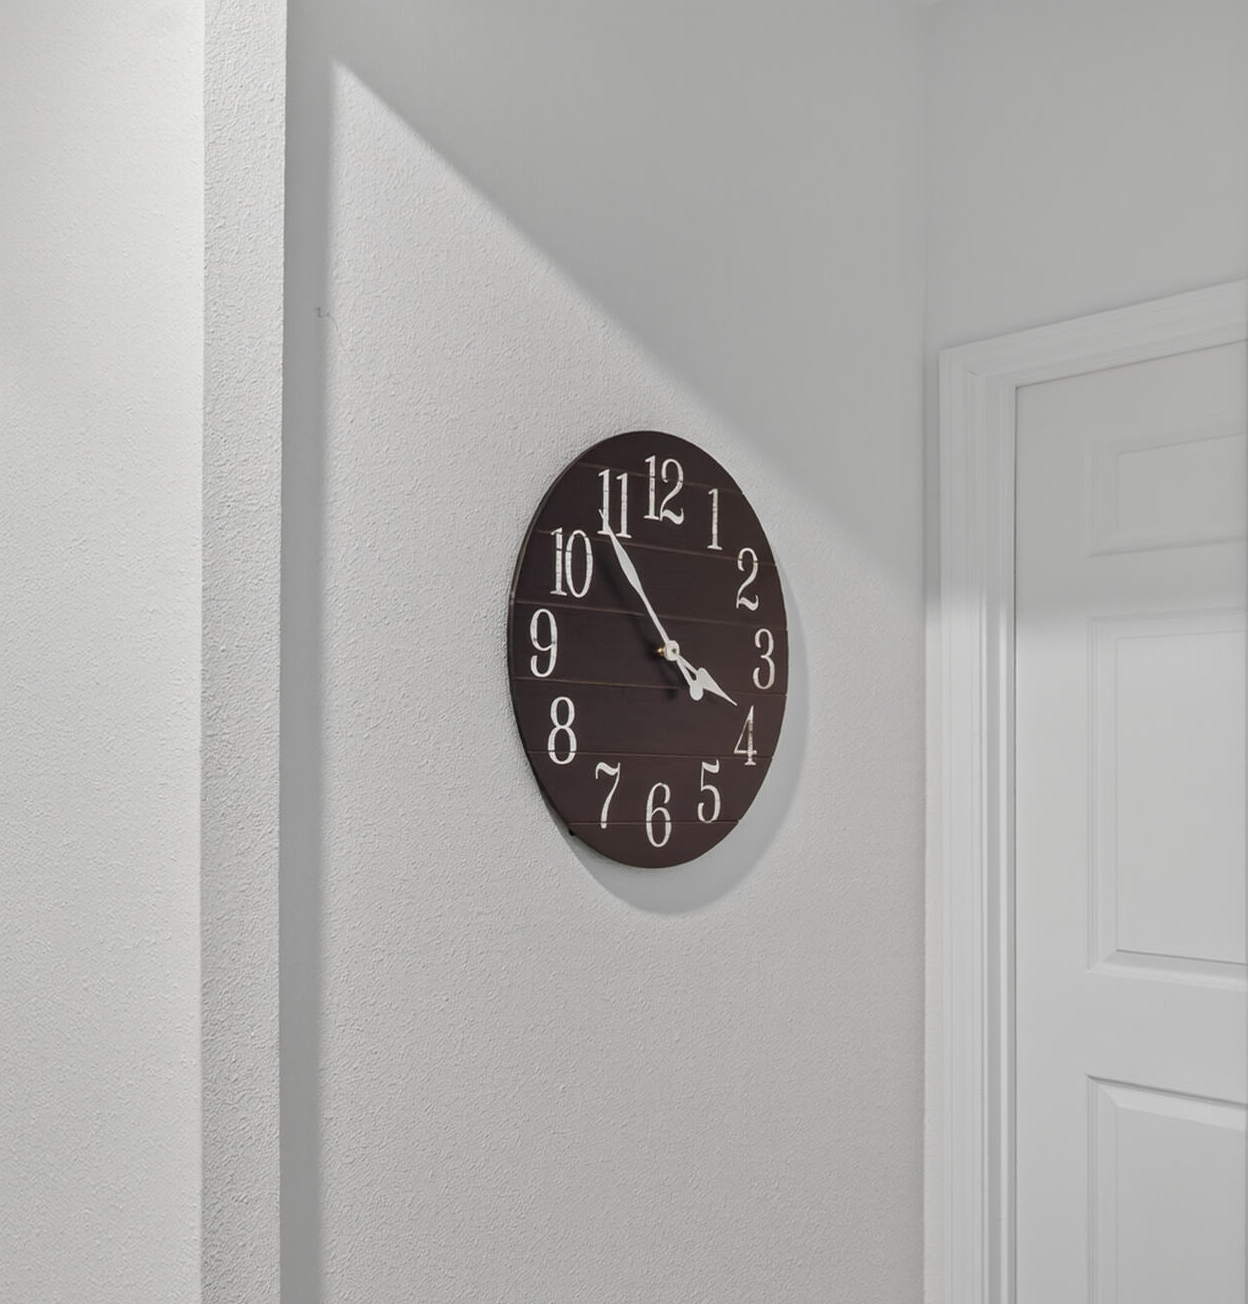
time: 3:53
